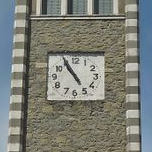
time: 10:55
